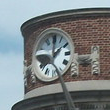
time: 2:00
